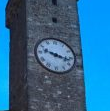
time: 3:17
